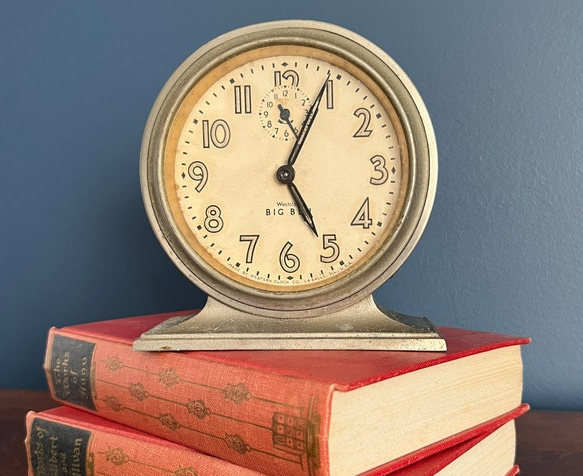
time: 5:04
